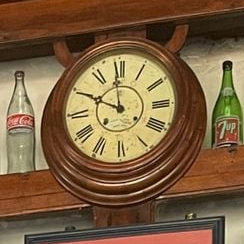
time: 11:49
